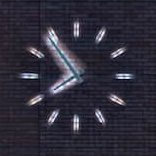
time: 7:54
